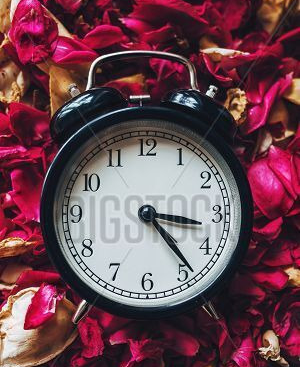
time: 3:23
